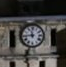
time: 11:44
